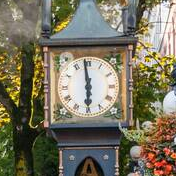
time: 5:58
